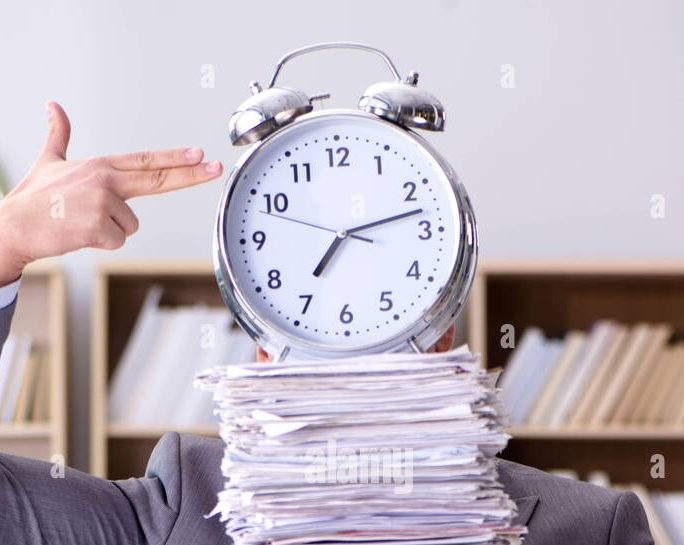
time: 7:12
